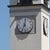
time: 7:01
